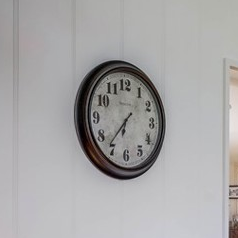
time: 6:36
